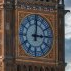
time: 3:01
